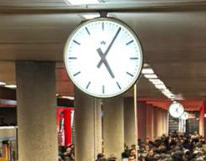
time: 5:05
